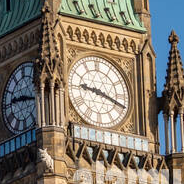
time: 9:18
